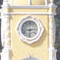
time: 6:14
